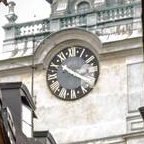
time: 10:18
